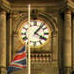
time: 4:07
